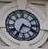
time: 3:34
